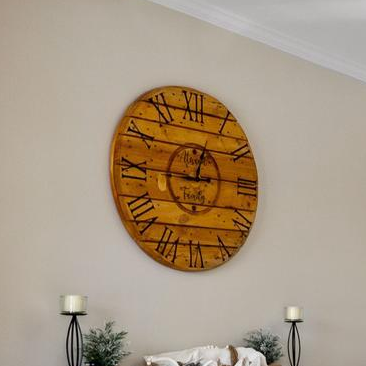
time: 12:45
